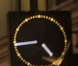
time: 4:44
